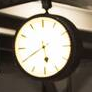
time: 5:40
